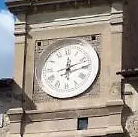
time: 12:11
